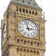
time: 2:57
